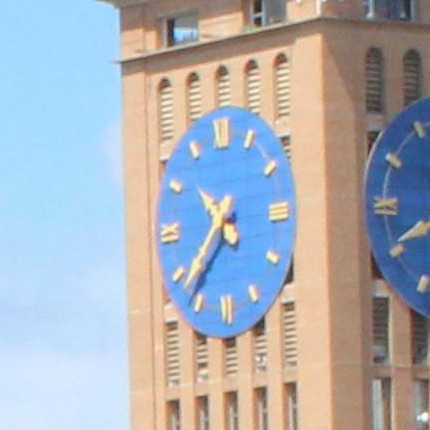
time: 10:37
